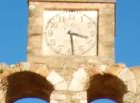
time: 3:28
